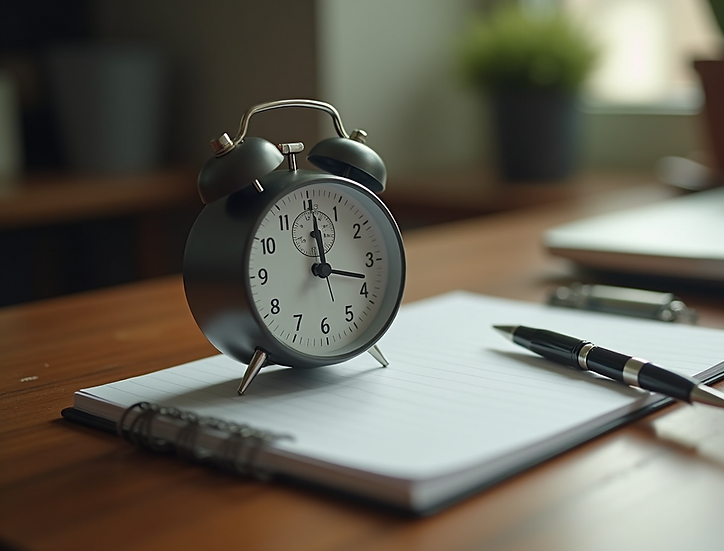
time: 12:17
